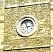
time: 2:56
